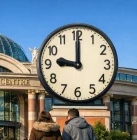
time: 9:00
